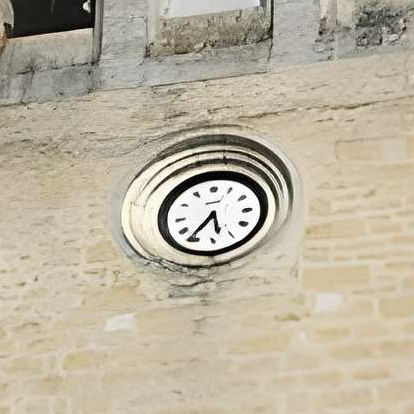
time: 5:35
